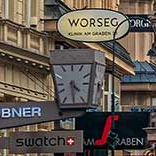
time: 4:29
